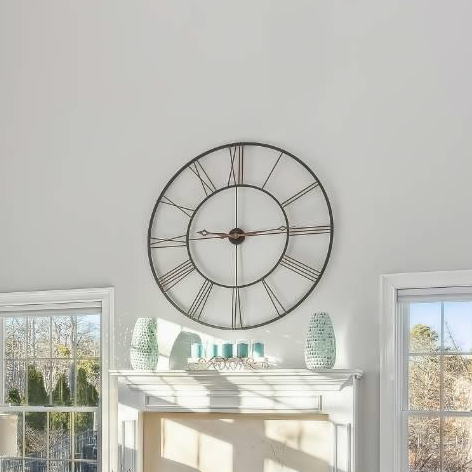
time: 9:14
